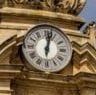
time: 6:02
